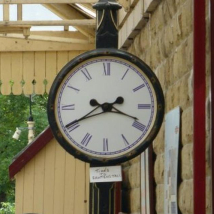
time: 3:40
